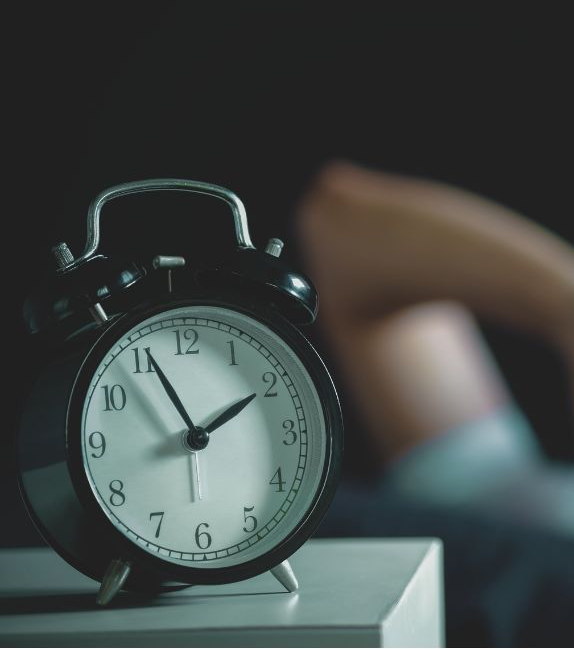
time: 1:56
